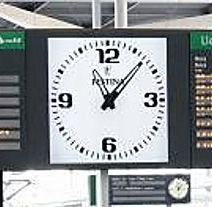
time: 11:07
